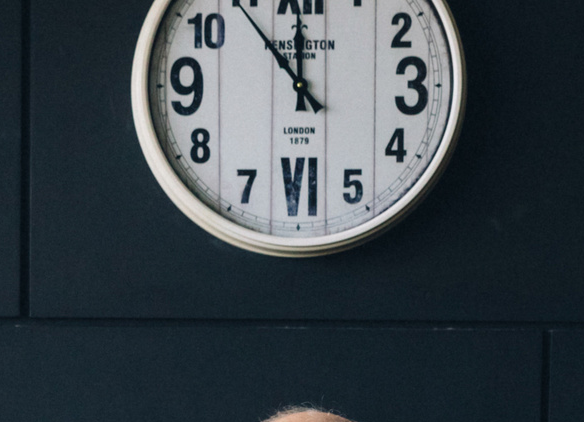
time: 11:53
